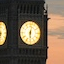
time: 6:02
